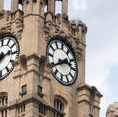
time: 2:39
